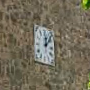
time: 12:07
